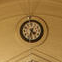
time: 4:32
